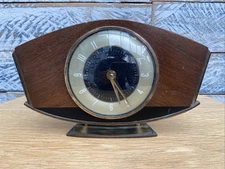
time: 5:24
